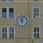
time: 11:02
